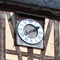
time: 2:09
